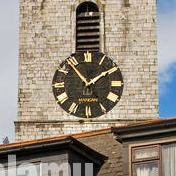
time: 1:53
